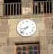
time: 8:37
